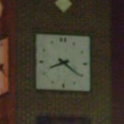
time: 8:20
